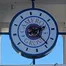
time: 2:23
